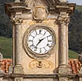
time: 7:09
